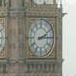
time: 2:14
